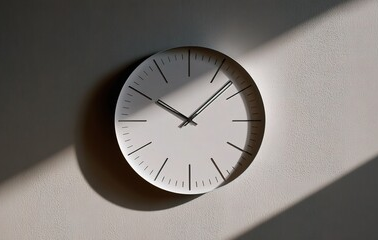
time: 10:07
